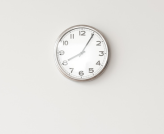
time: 8:05
